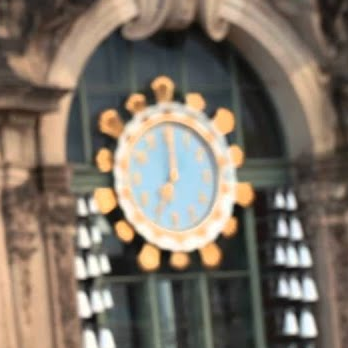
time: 7:00
